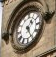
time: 1:24
